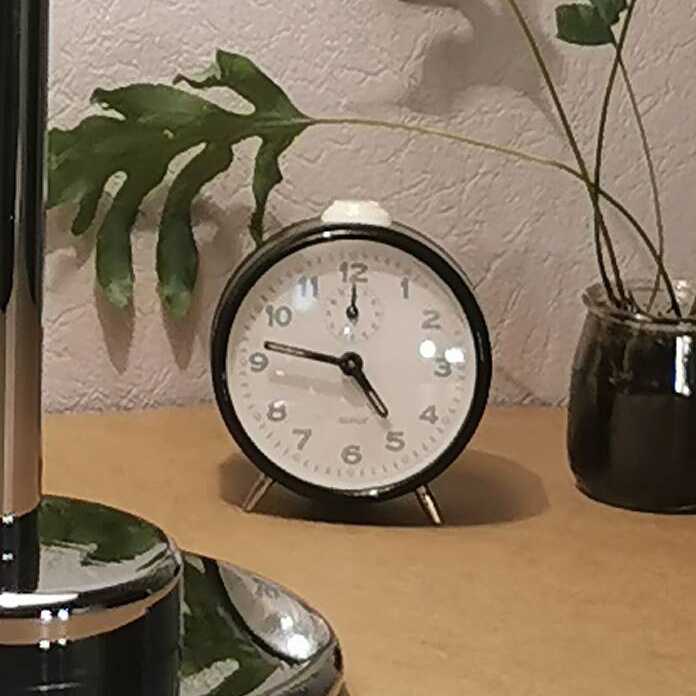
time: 4:46
